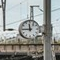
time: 11:44
